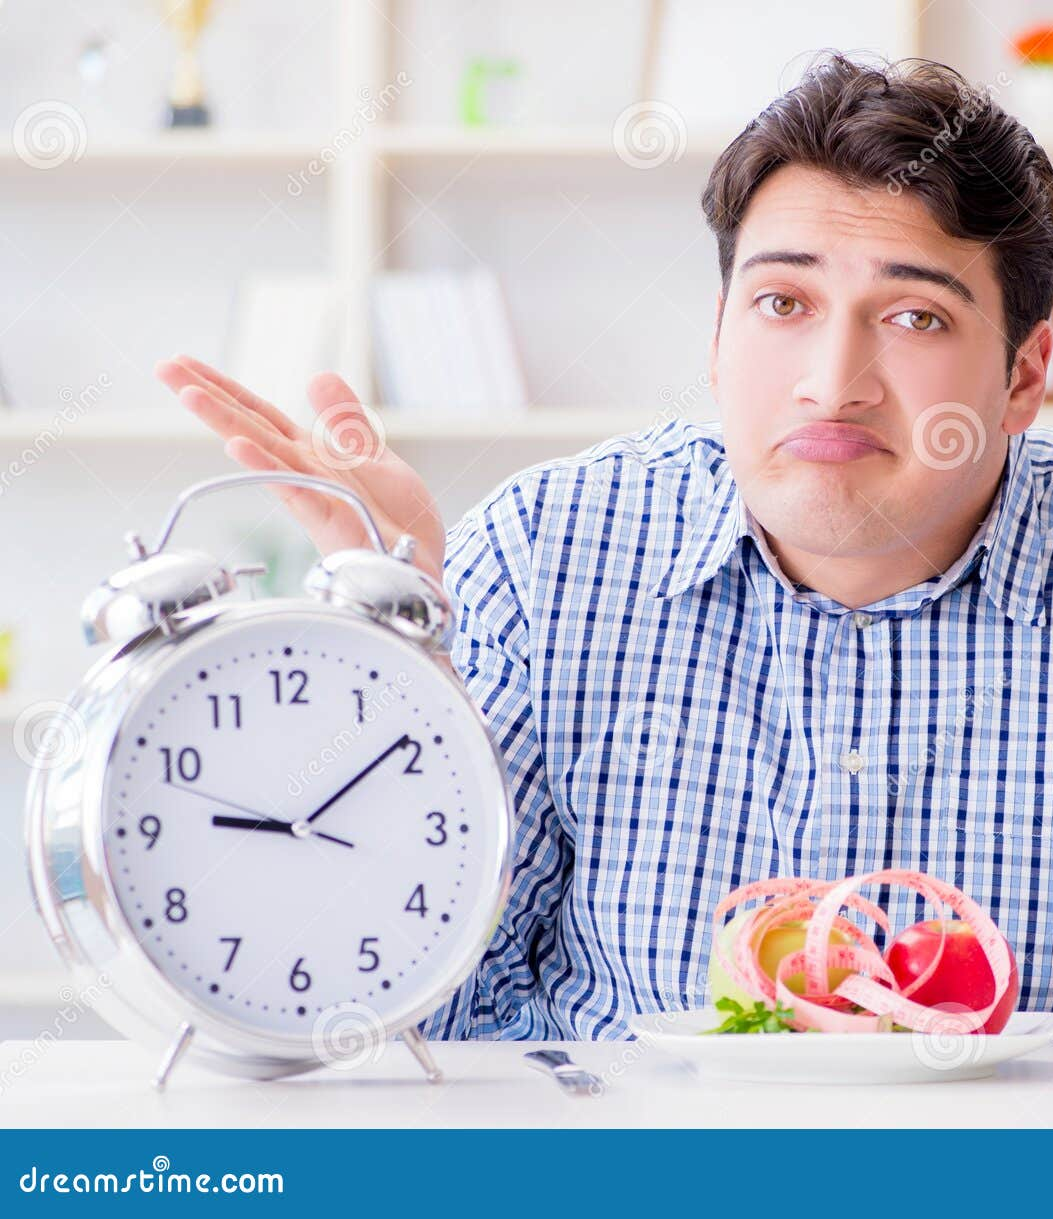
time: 9:09
